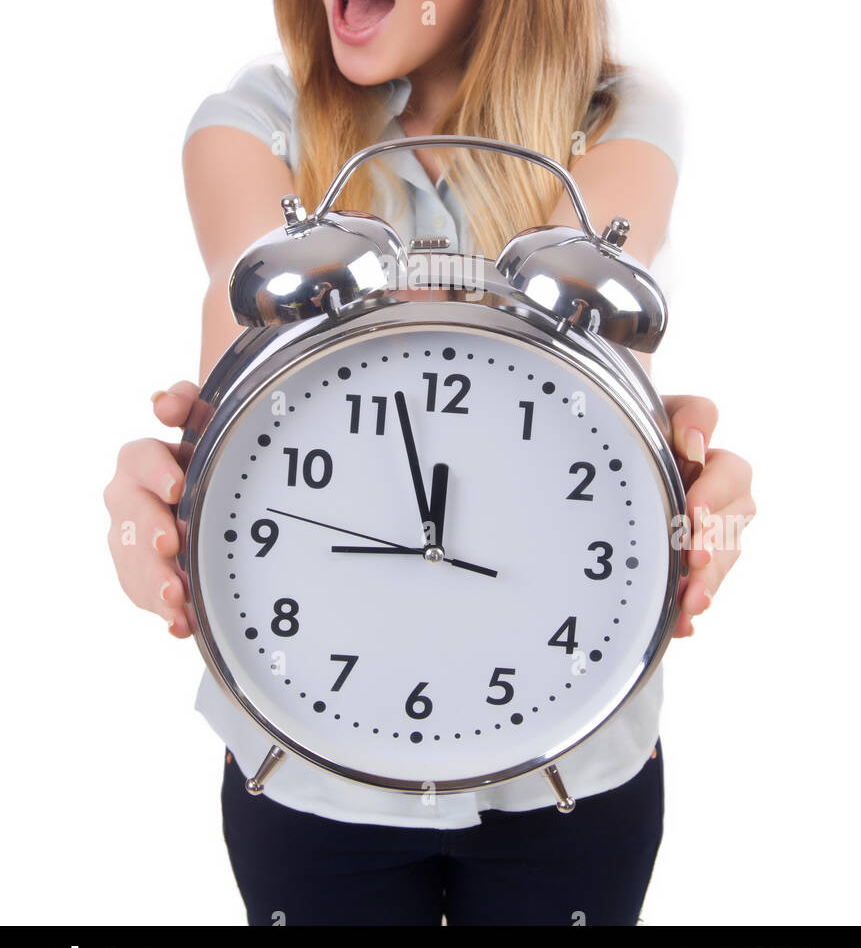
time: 8:57
